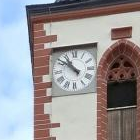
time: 10:51
